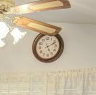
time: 5:11
